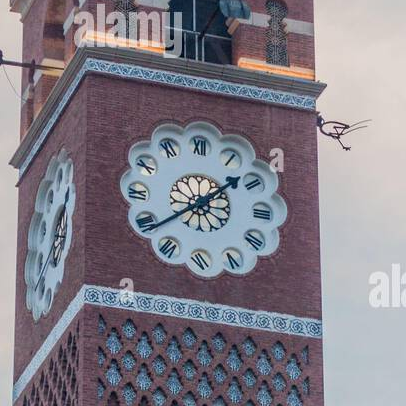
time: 1:39
